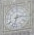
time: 2:32
